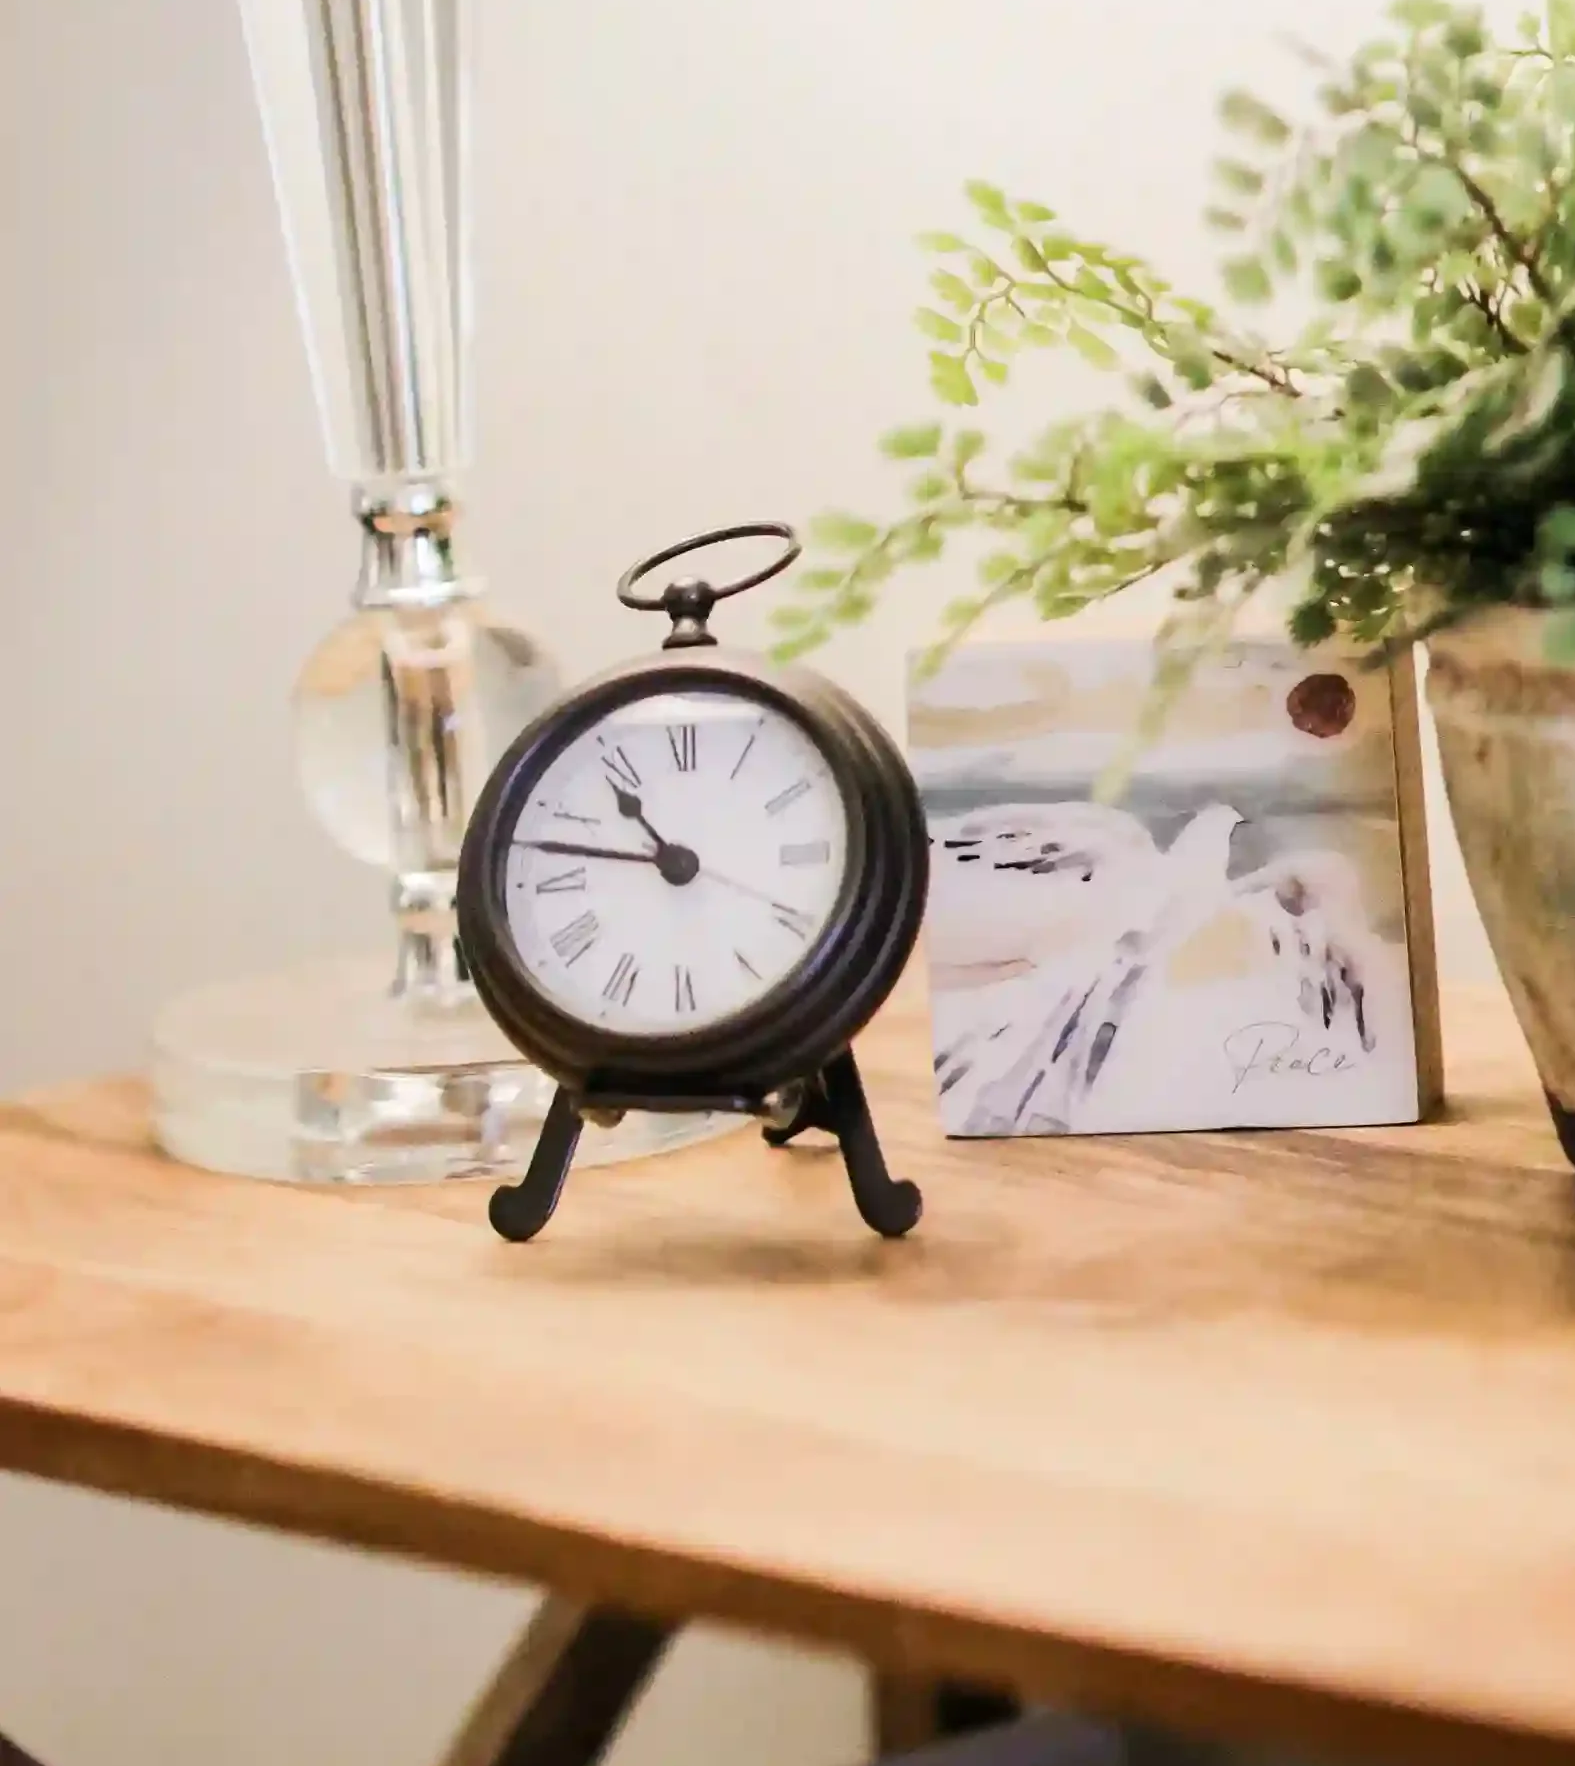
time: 10:47
